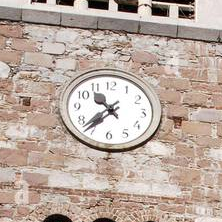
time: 10:36
